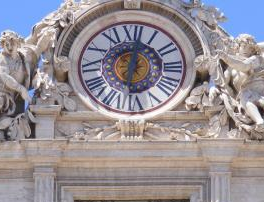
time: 6:01
